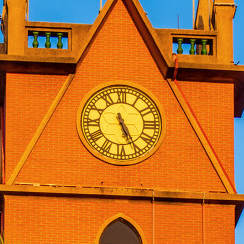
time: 5:25
